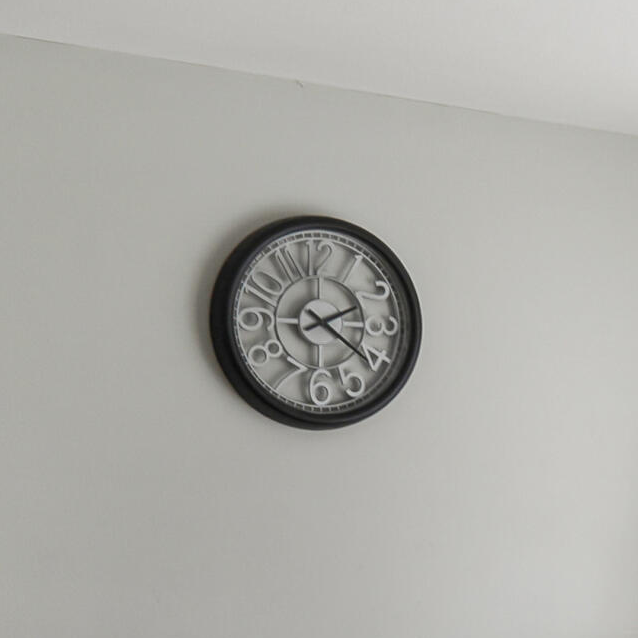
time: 2:21
